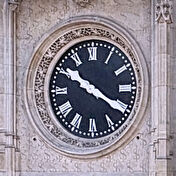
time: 10:20
